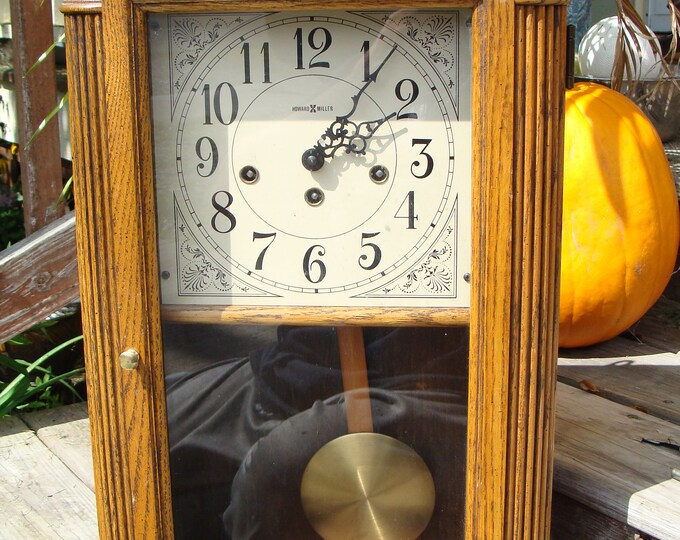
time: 2:06
